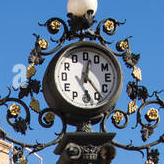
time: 12:23
